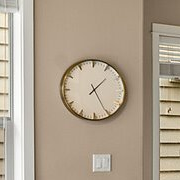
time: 1:25
